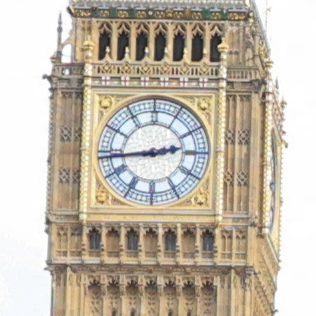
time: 2:44
